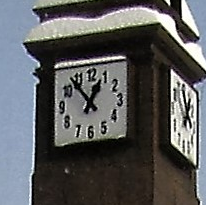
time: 12:53
